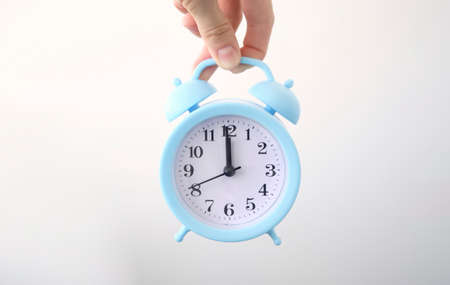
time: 11:59
